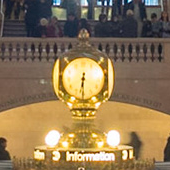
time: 6:30
